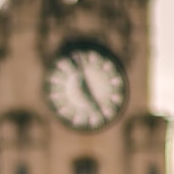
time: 4:57
